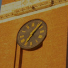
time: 7:07
